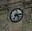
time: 7:13
